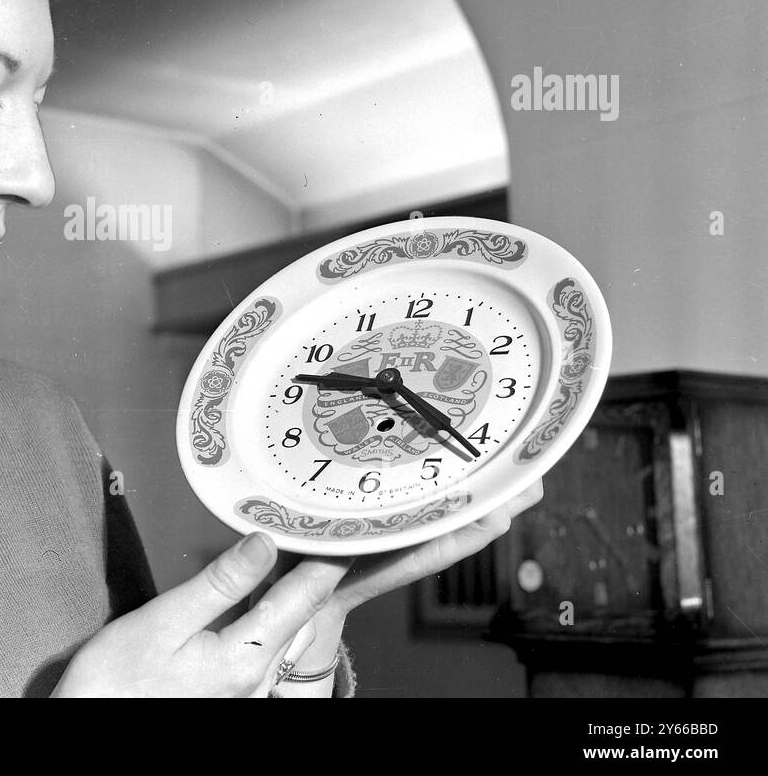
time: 9:21
